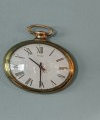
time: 10:30
